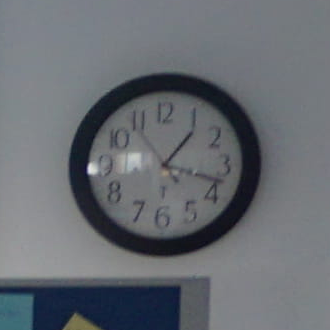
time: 1:17
